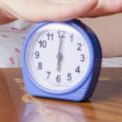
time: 6:00
